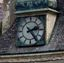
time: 2:24
